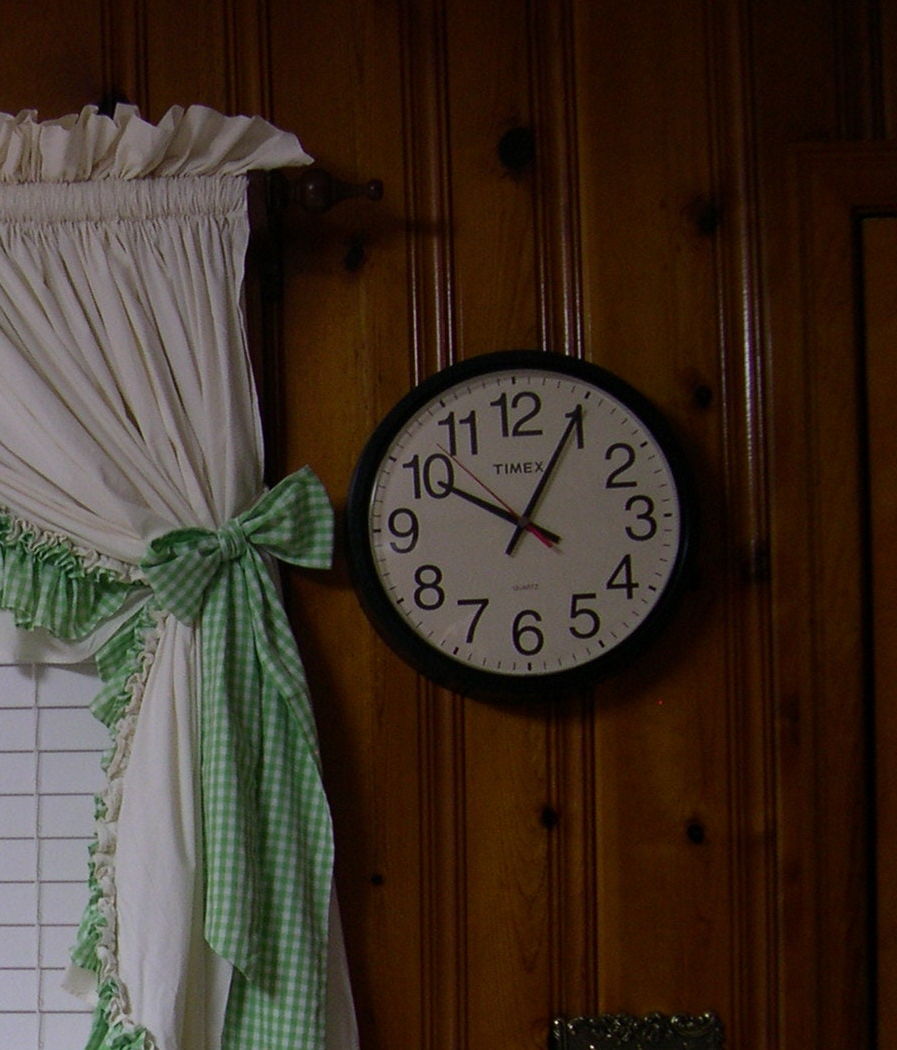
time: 10:04
